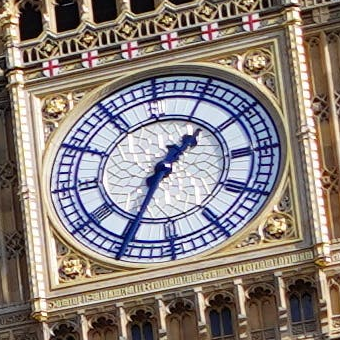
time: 1:34
